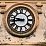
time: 8:46
